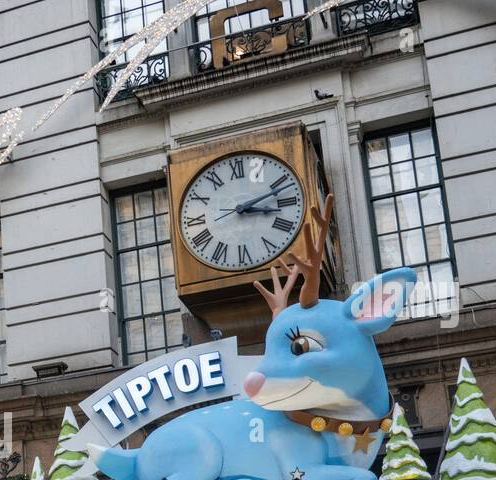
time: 3:11
